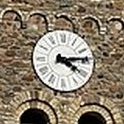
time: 4:13
